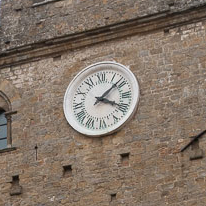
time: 4:08
